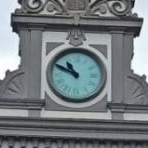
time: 10:49
